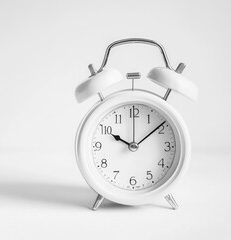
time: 10:08
